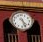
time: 4:26
